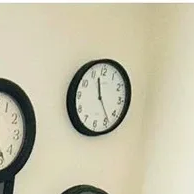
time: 11:23
